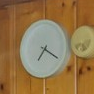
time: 7:19
